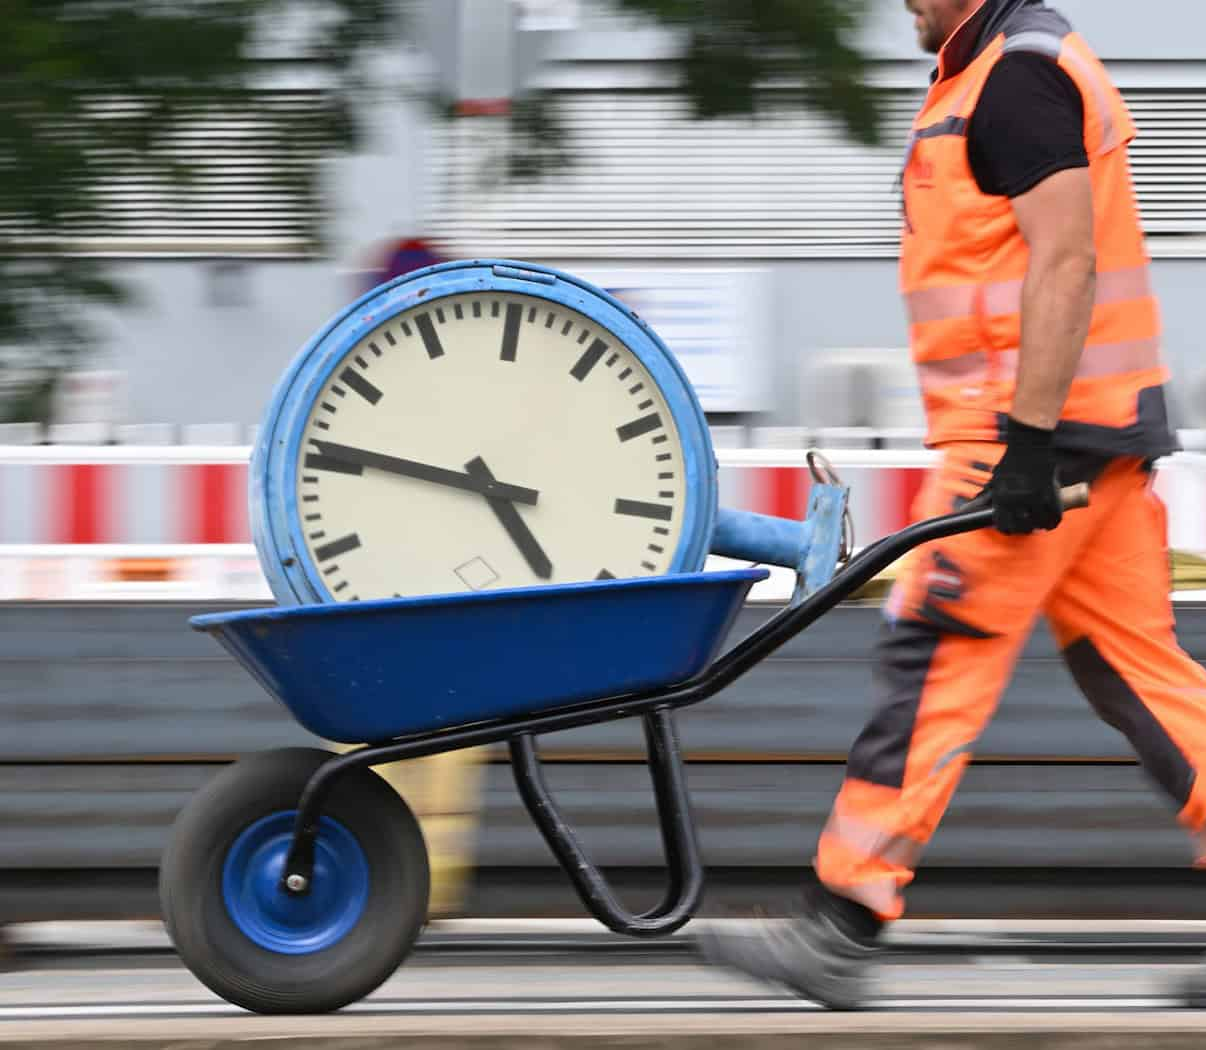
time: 4:46
